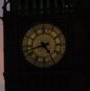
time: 4:42
